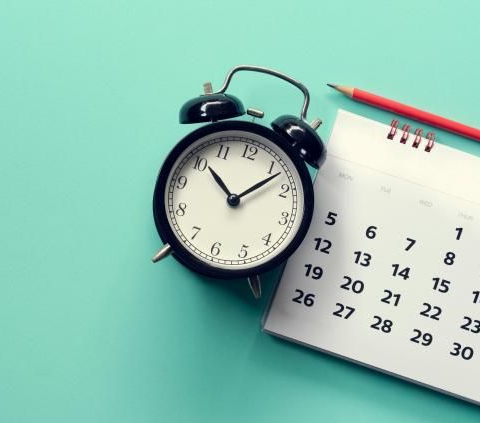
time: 10:07
